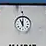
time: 11:55
